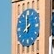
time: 7:59
